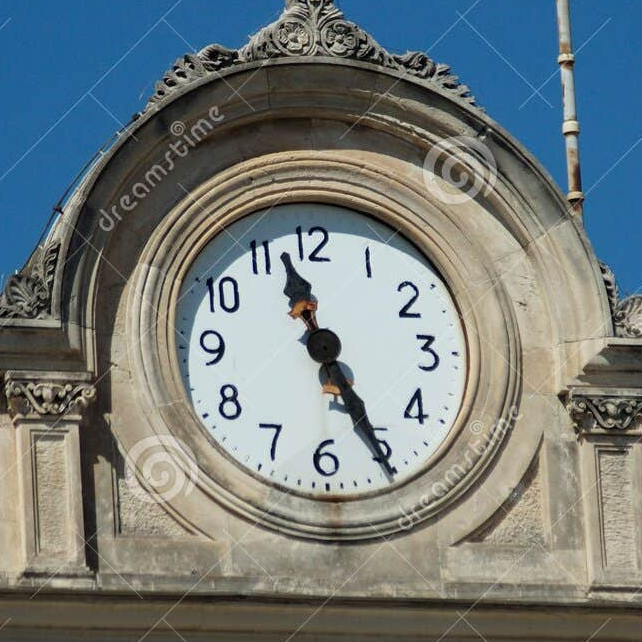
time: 11:25
